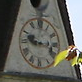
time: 9:17
